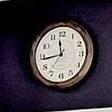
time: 11:43
